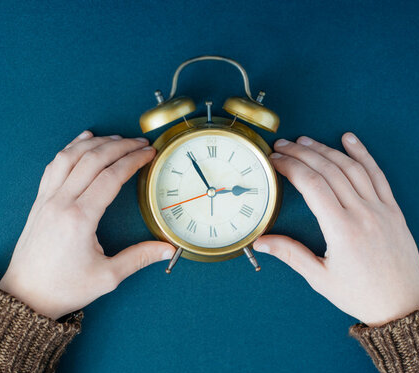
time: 2:54
